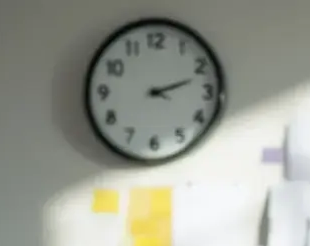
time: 2:12
